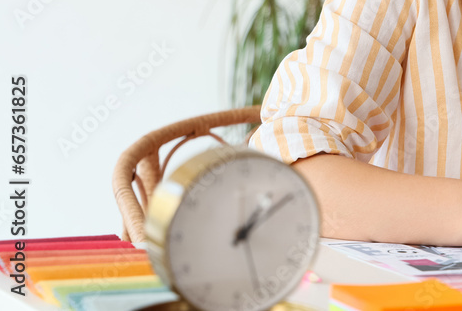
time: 1:09
